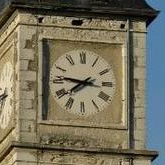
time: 7:46
